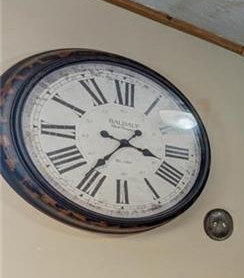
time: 3:36
